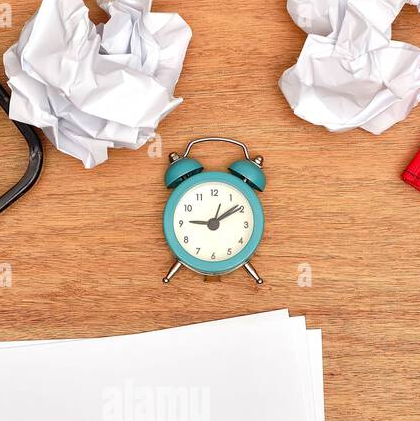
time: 9:09
